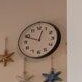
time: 12:48
